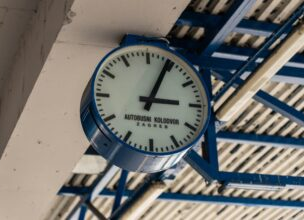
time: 3:04
